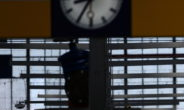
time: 8:34
